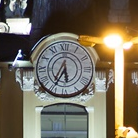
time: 5:34
